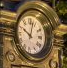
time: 10:02
